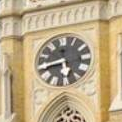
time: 5:42
